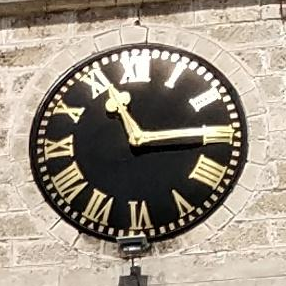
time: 11:14
